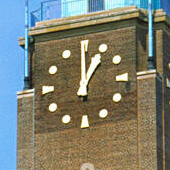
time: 1:00
